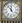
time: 11:52
